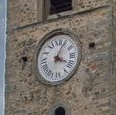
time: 4:04
